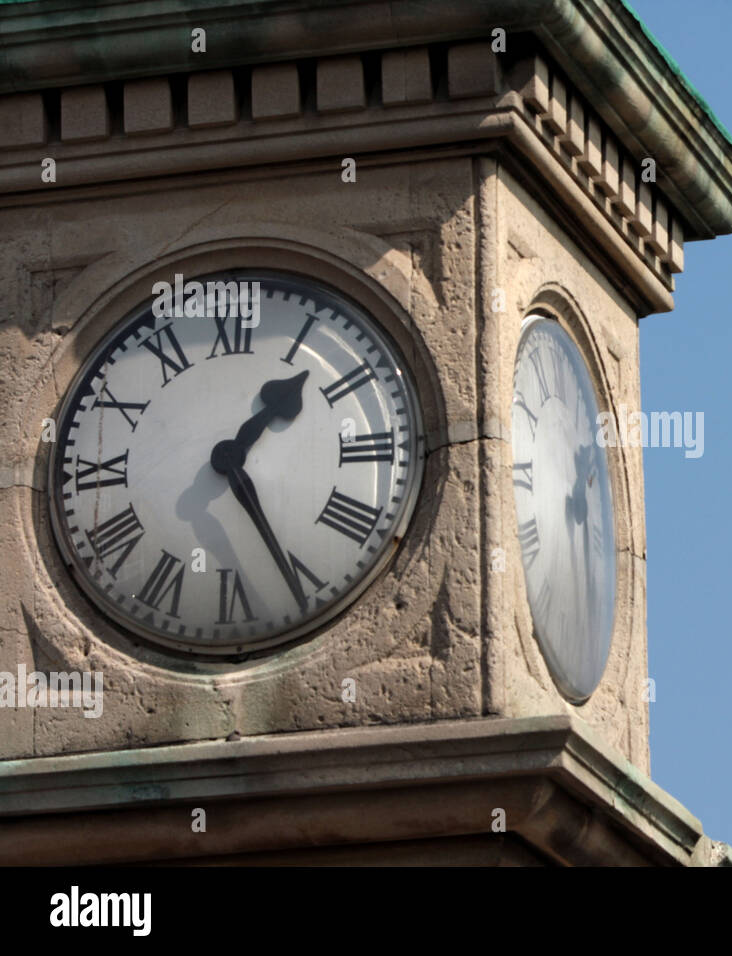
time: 1:25
